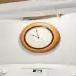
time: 9:57
